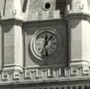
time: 12:06
